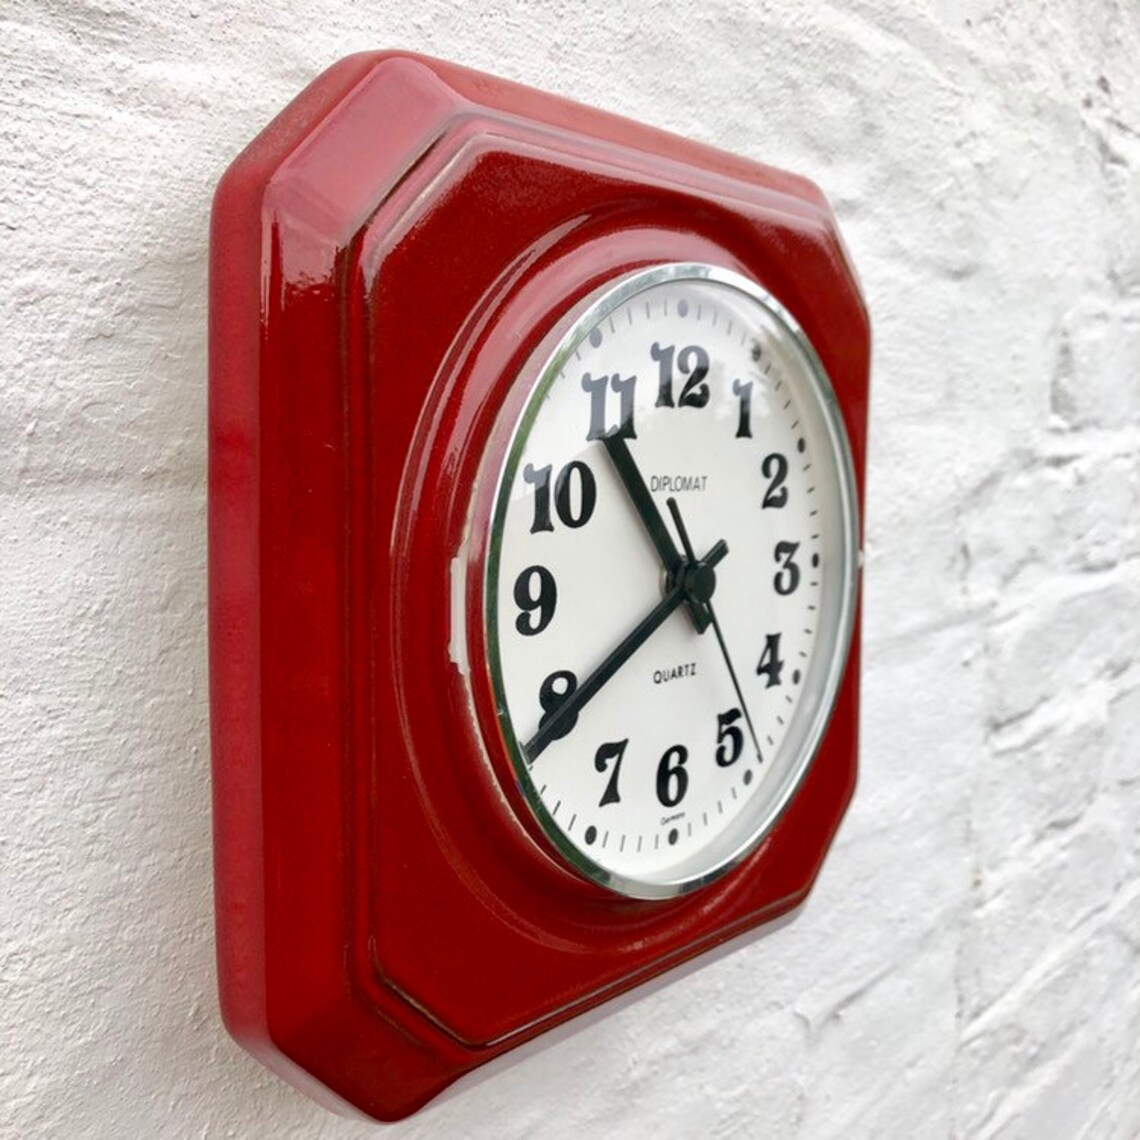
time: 10:39
